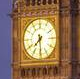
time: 7:29
